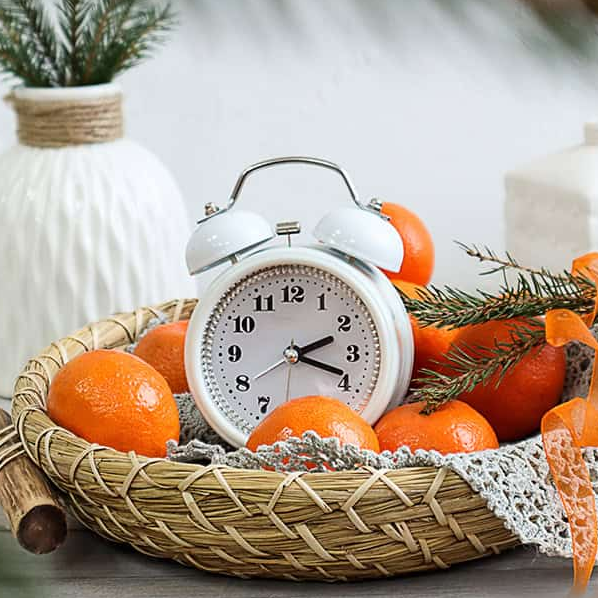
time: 2:18
